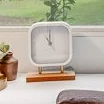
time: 11:00
